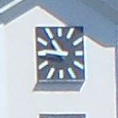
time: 10:45
